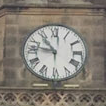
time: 10:46
